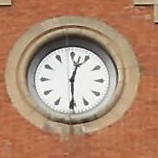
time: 12:29
